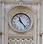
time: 11:23
